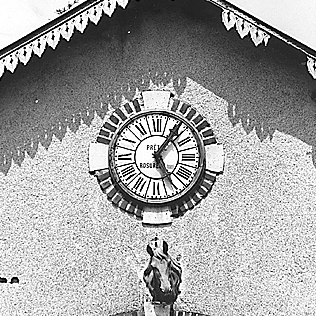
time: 5:05
